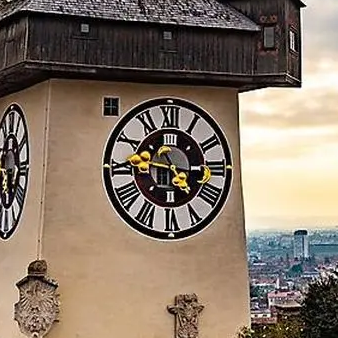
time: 4:46
